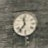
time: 11:36
